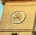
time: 8:23
